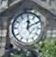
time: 12:10
